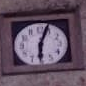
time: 6:03
